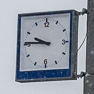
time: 9:45
